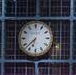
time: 6:37
